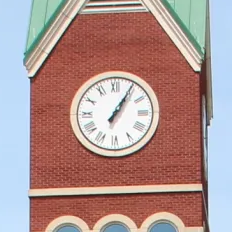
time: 1:05
